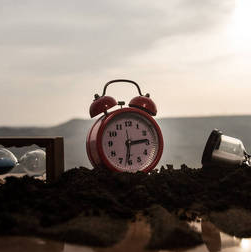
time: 6:14
